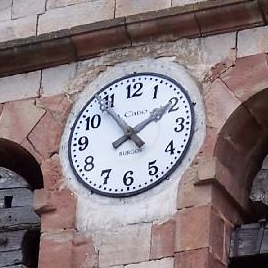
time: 1:53
